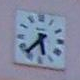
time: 5:37
